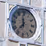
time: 11:36
